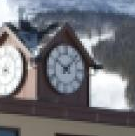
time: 10:07
